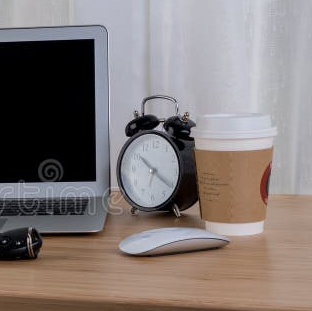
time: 10:21
